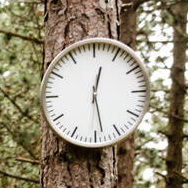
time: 12:28
